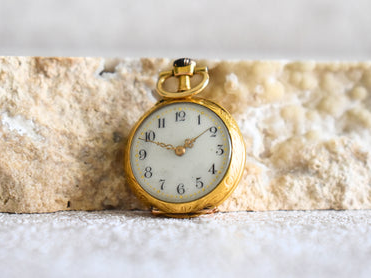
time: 1:48
